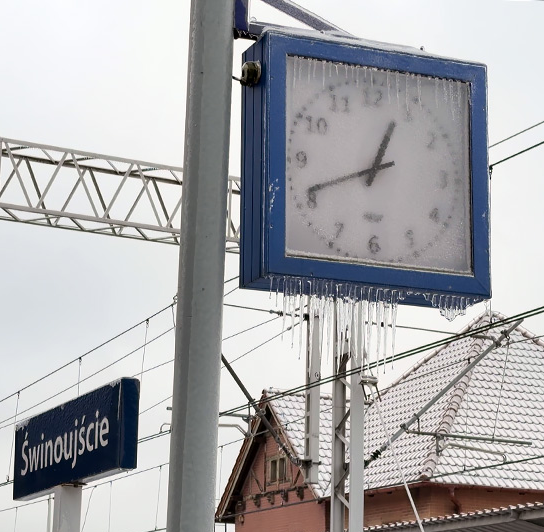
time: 12:41
